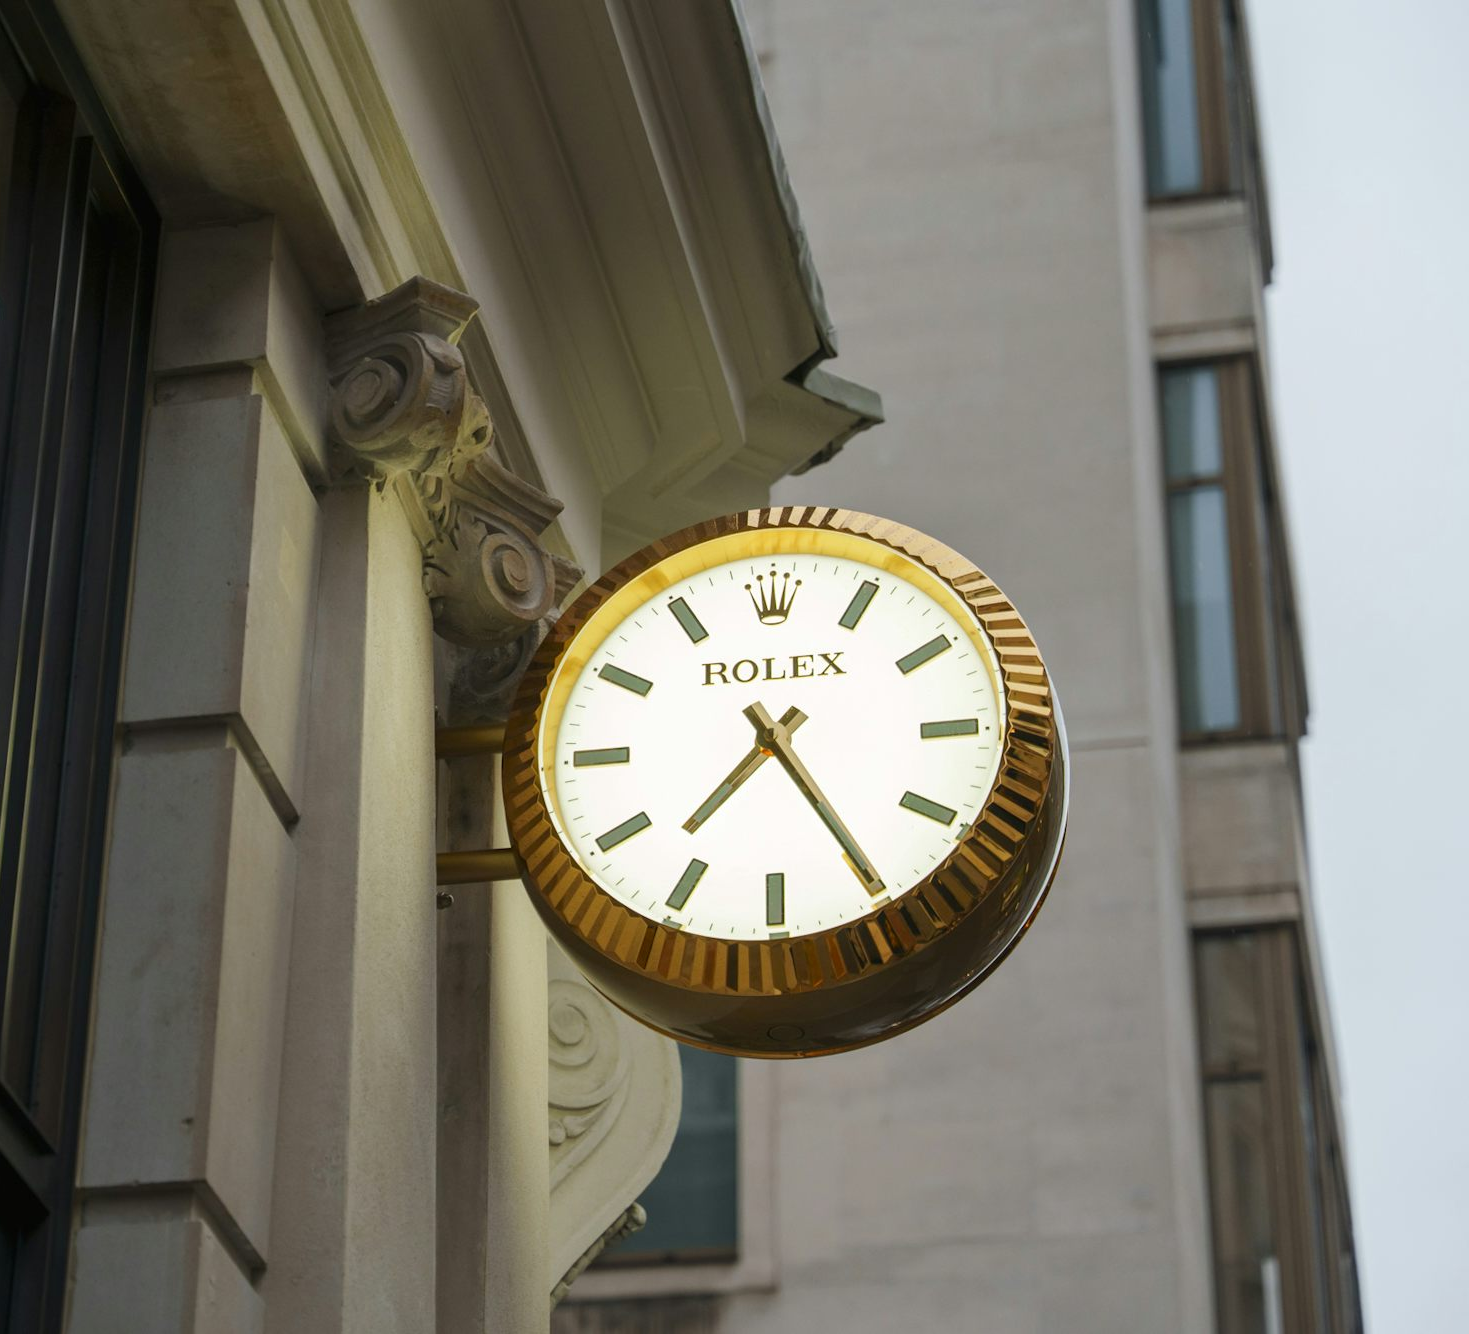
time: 7:24
